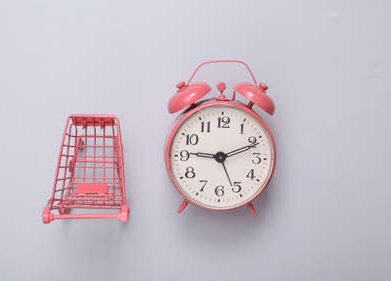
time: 9:11
